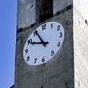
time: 9:55
